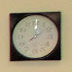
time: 12:08
